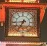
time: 6:43
